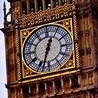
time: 12:32
